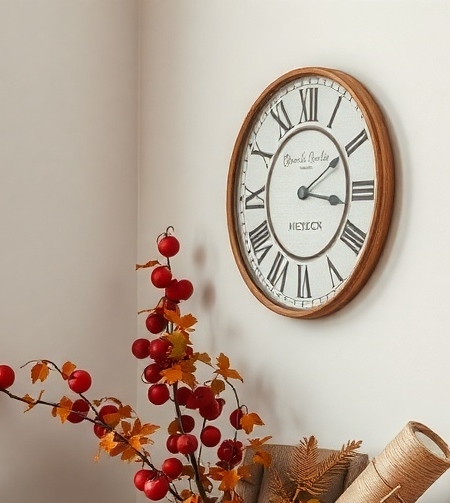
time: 3:09
